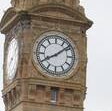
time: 8:08
